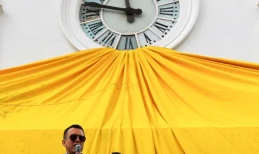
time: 11:47
